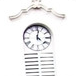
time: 4:01
